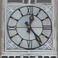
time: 12:23
